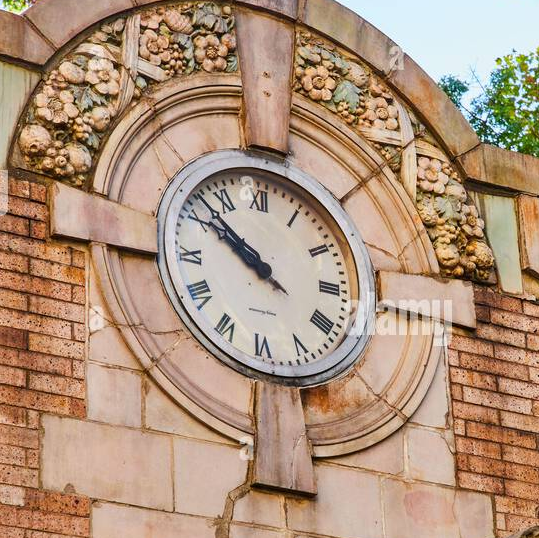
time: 9:51
